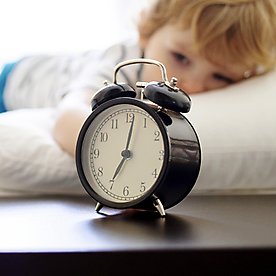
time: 7:01
